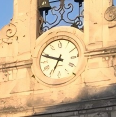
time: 6:48
